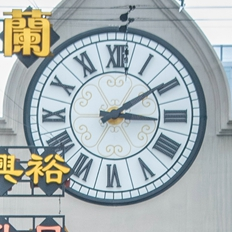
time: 3:09
